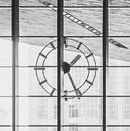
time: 1:25
